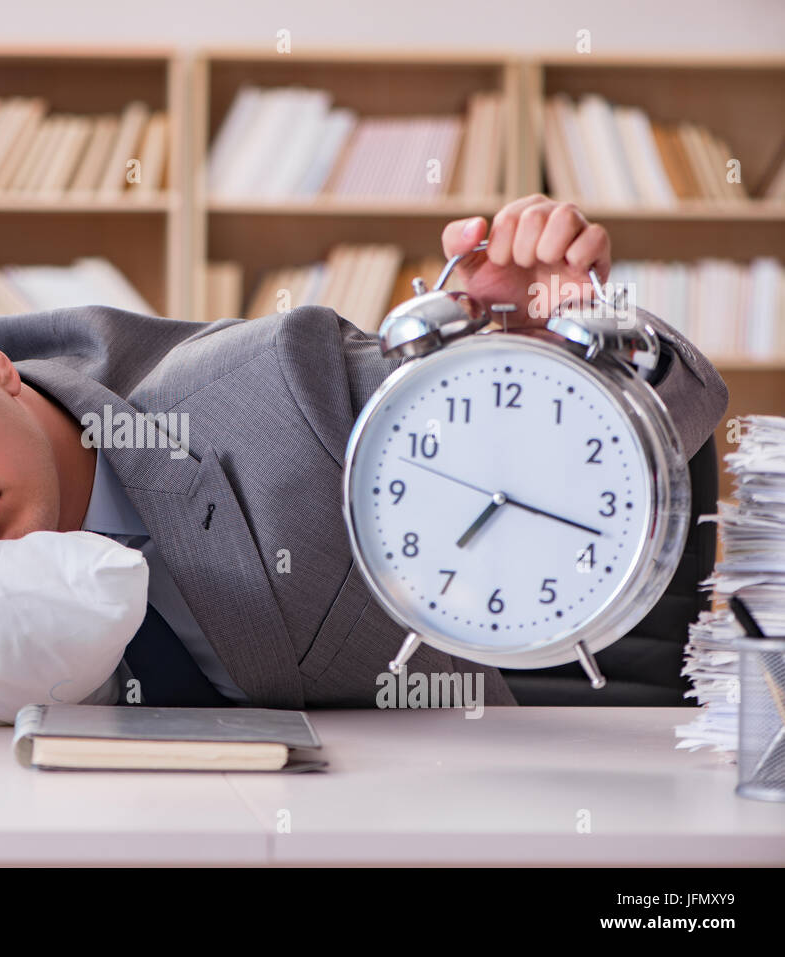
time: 7:17
